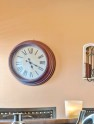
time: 5:19
